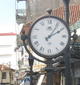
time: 2:06
